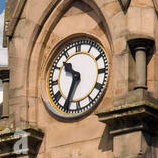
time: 10:34
